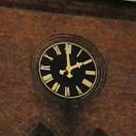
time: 1:59
